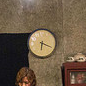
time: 6:18
